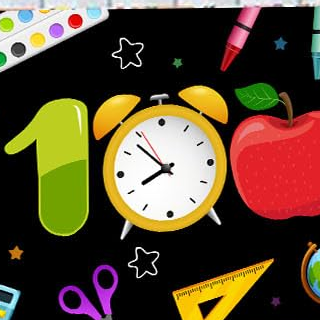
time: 7:52
